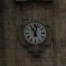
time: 11:02
